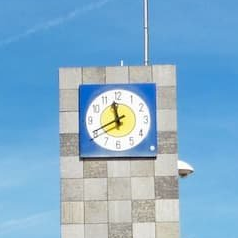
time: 11:40
